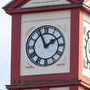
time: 1:56
